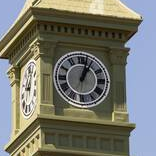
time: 1:02
